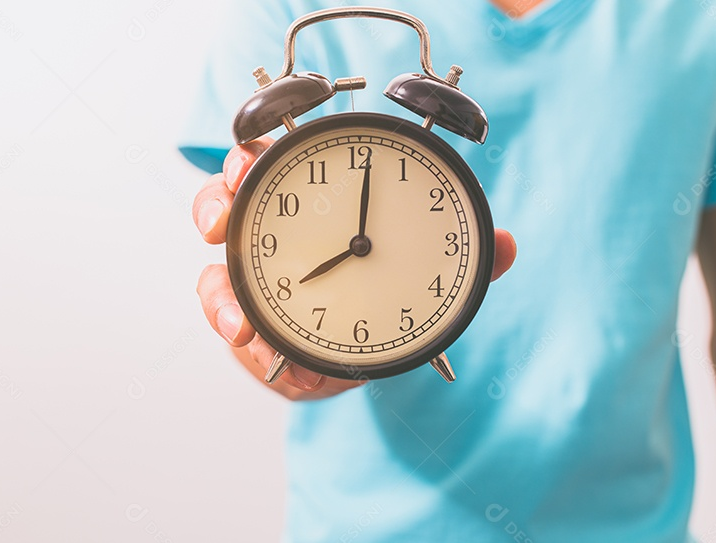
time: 8:01
